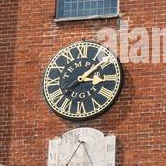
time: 3:08
